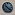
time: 10:21
